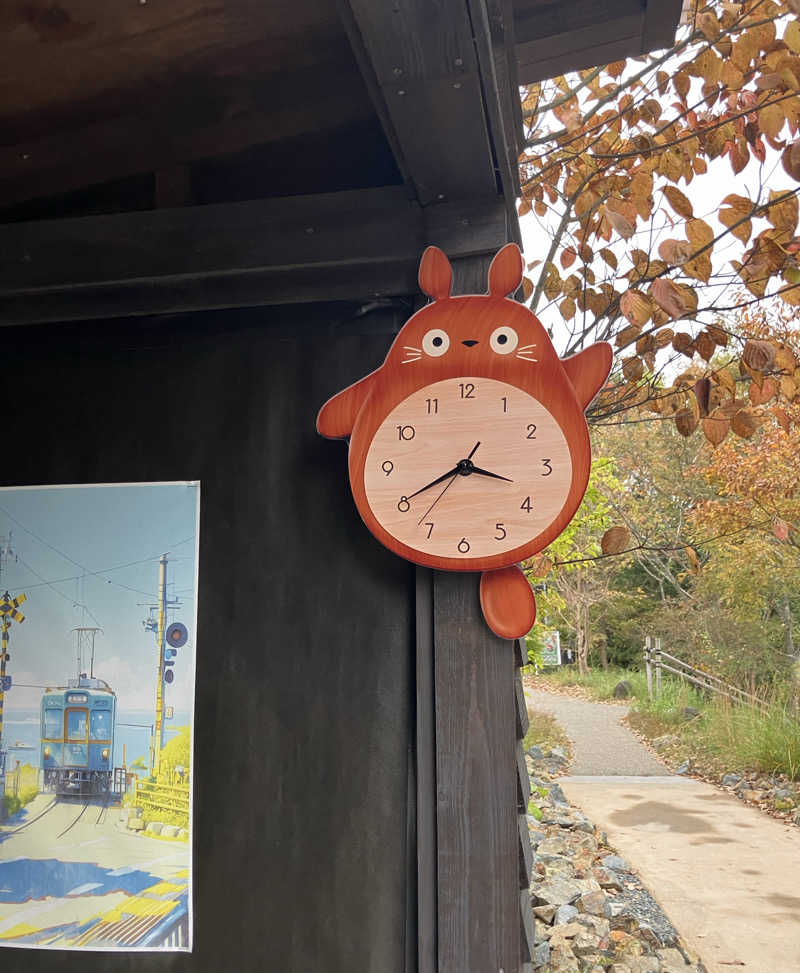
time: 3:40
